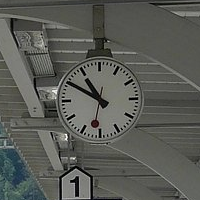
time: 10:50
